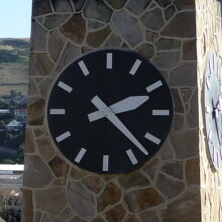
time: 2:22
